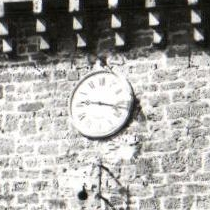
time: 9:17
